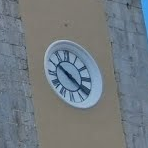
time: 10:20
